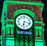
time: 6:17
